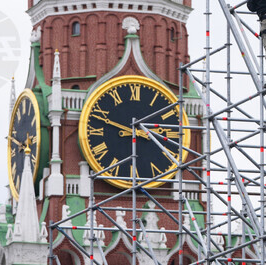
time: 2:48
